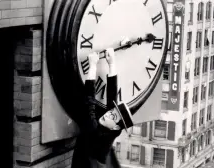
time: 2:13
